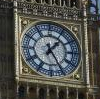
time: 1:25
